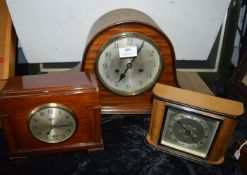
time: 7:04
